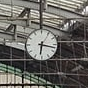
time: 6:17
